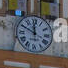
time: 11:49
